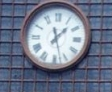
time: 1:27
